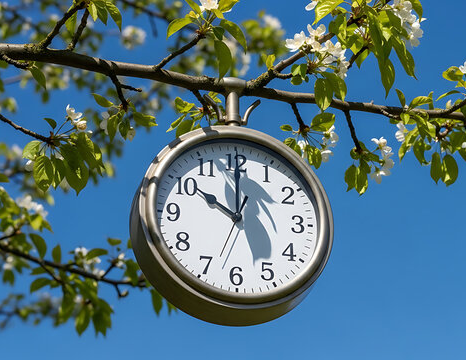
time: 10:00
